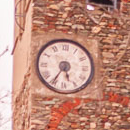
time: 5:35
